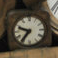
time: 9:36
